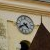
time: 4:40
